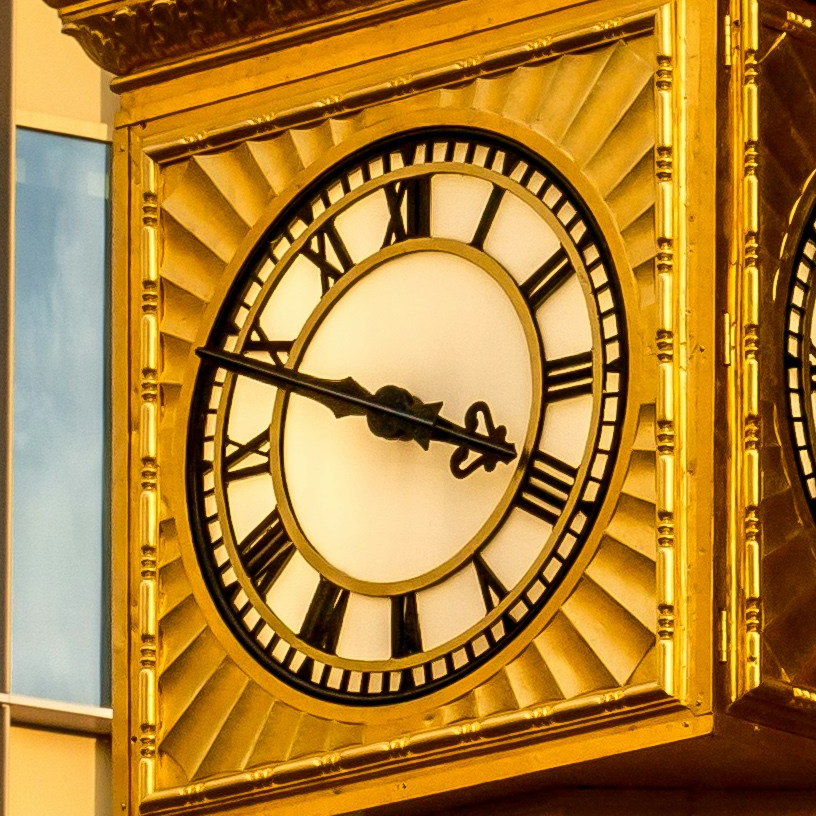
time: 3:48
